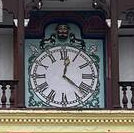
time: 12:21
